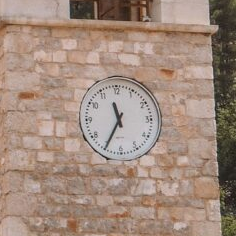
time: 11:35
